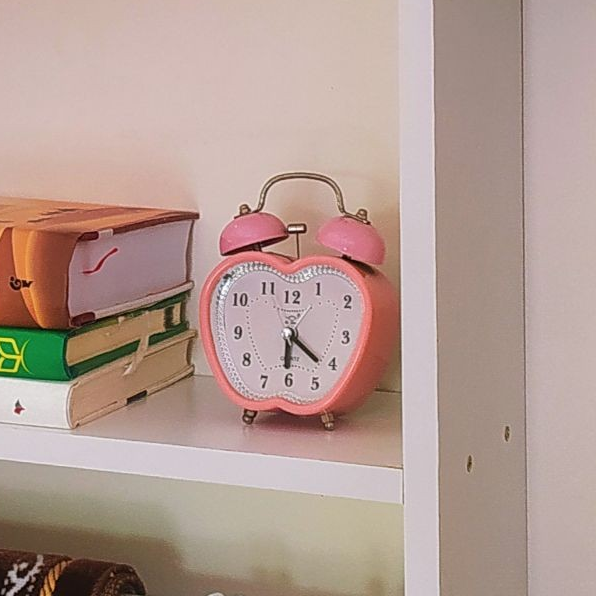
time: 6:21
